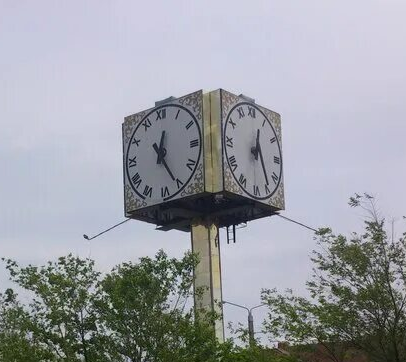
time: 12:24
